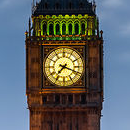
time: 7:18
